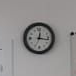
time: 12:16
